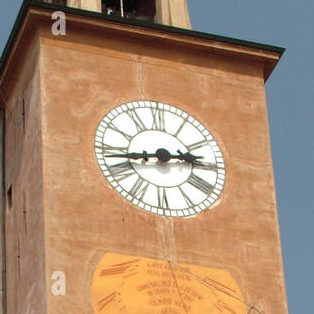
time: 2:43
